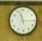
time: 11:15
